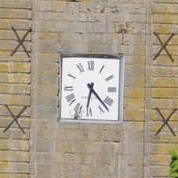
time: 6:22
